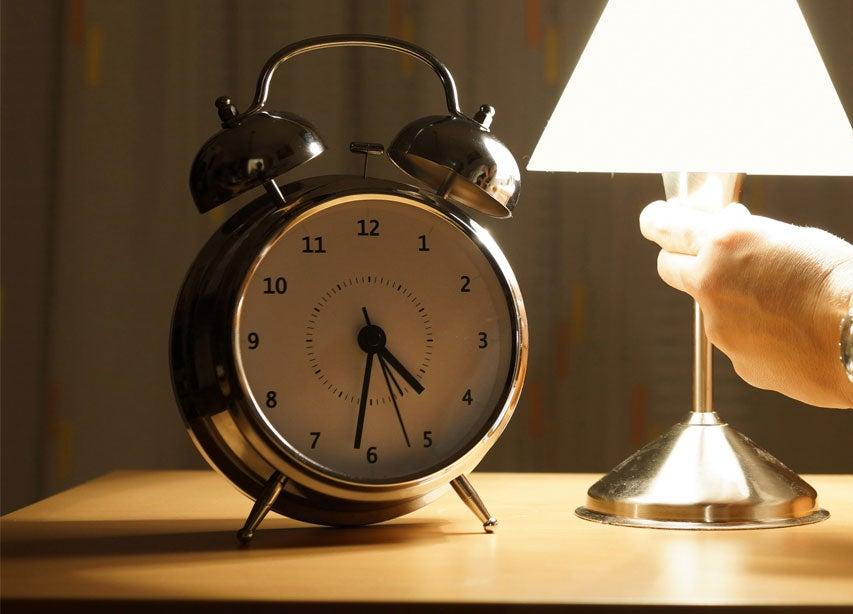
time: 4:31
